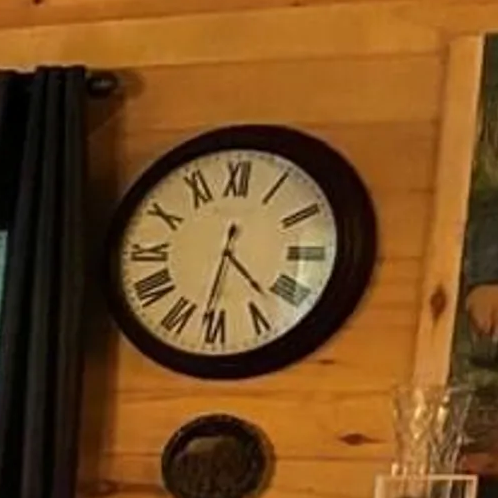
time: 4:31
